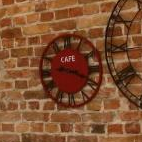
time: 9:19
